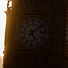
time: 5:08
